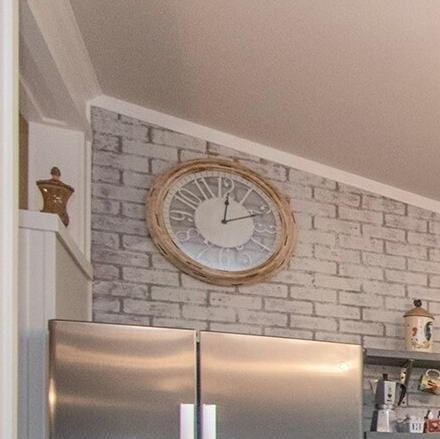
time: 12:11
